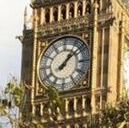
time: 1:08
